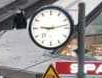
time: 9:12
